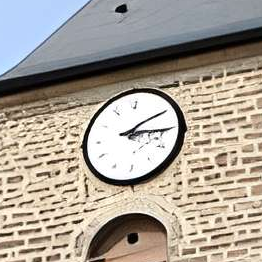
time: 2:15
